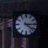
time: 4:14
